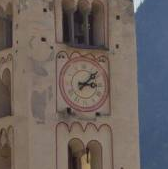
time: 3:08
